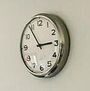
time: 2:54
